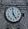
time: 4:58
